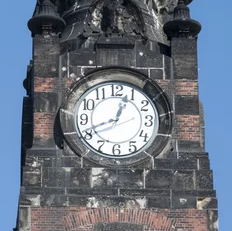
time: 12:41
